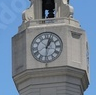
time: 1:02
